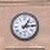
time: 1:13
